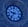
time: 9:36
